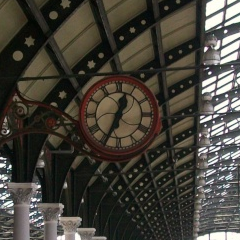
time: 12:34
